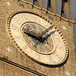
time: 9:07
